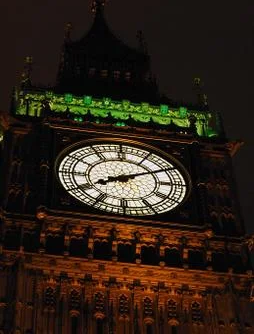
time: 8:09
